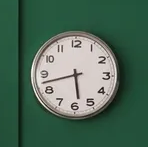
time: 5:42
